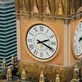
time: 2:19
